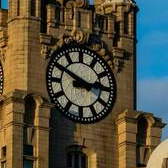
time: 2:49
